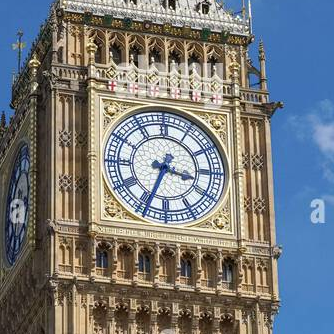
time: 3:33
